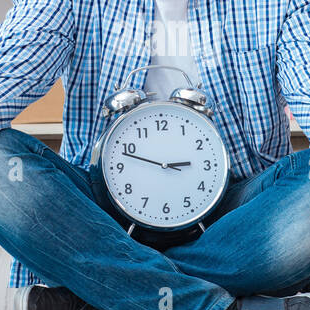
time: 2:48
